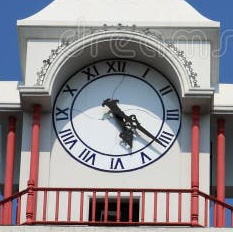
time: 5:21
